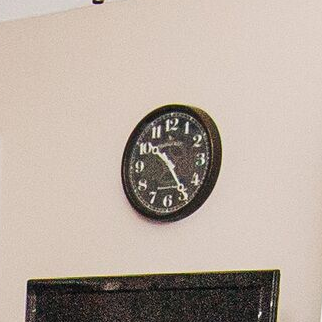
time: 10:24
